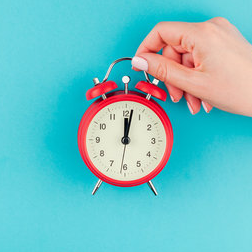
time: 12:01
